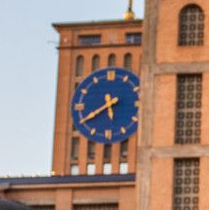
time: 5:40
